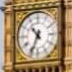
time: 10:34
